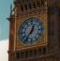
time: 12:36
